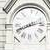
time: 8:12
